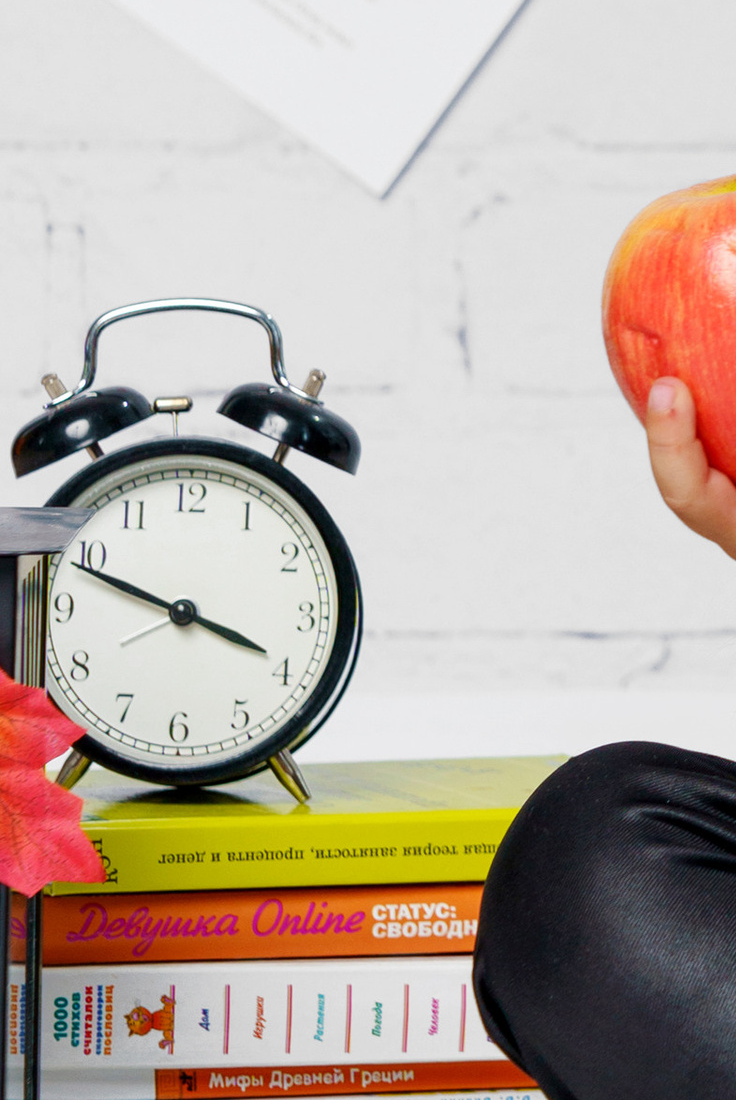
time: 3:48
